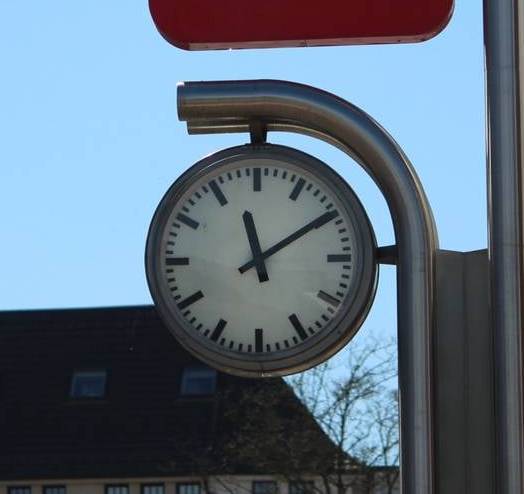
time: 11:09
